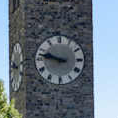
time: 9:47
